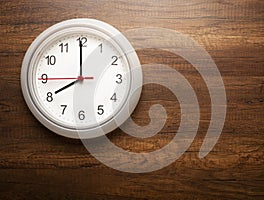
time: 7:59
